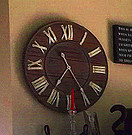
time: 7:24
